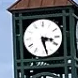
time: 3:27
